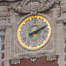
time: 2:10
